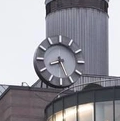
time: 8:26
